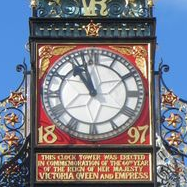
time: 10:57
